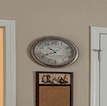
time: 10:41
